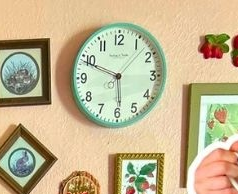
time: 5:49
